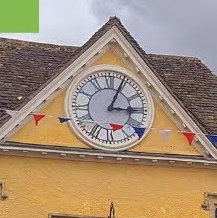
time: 3:04
